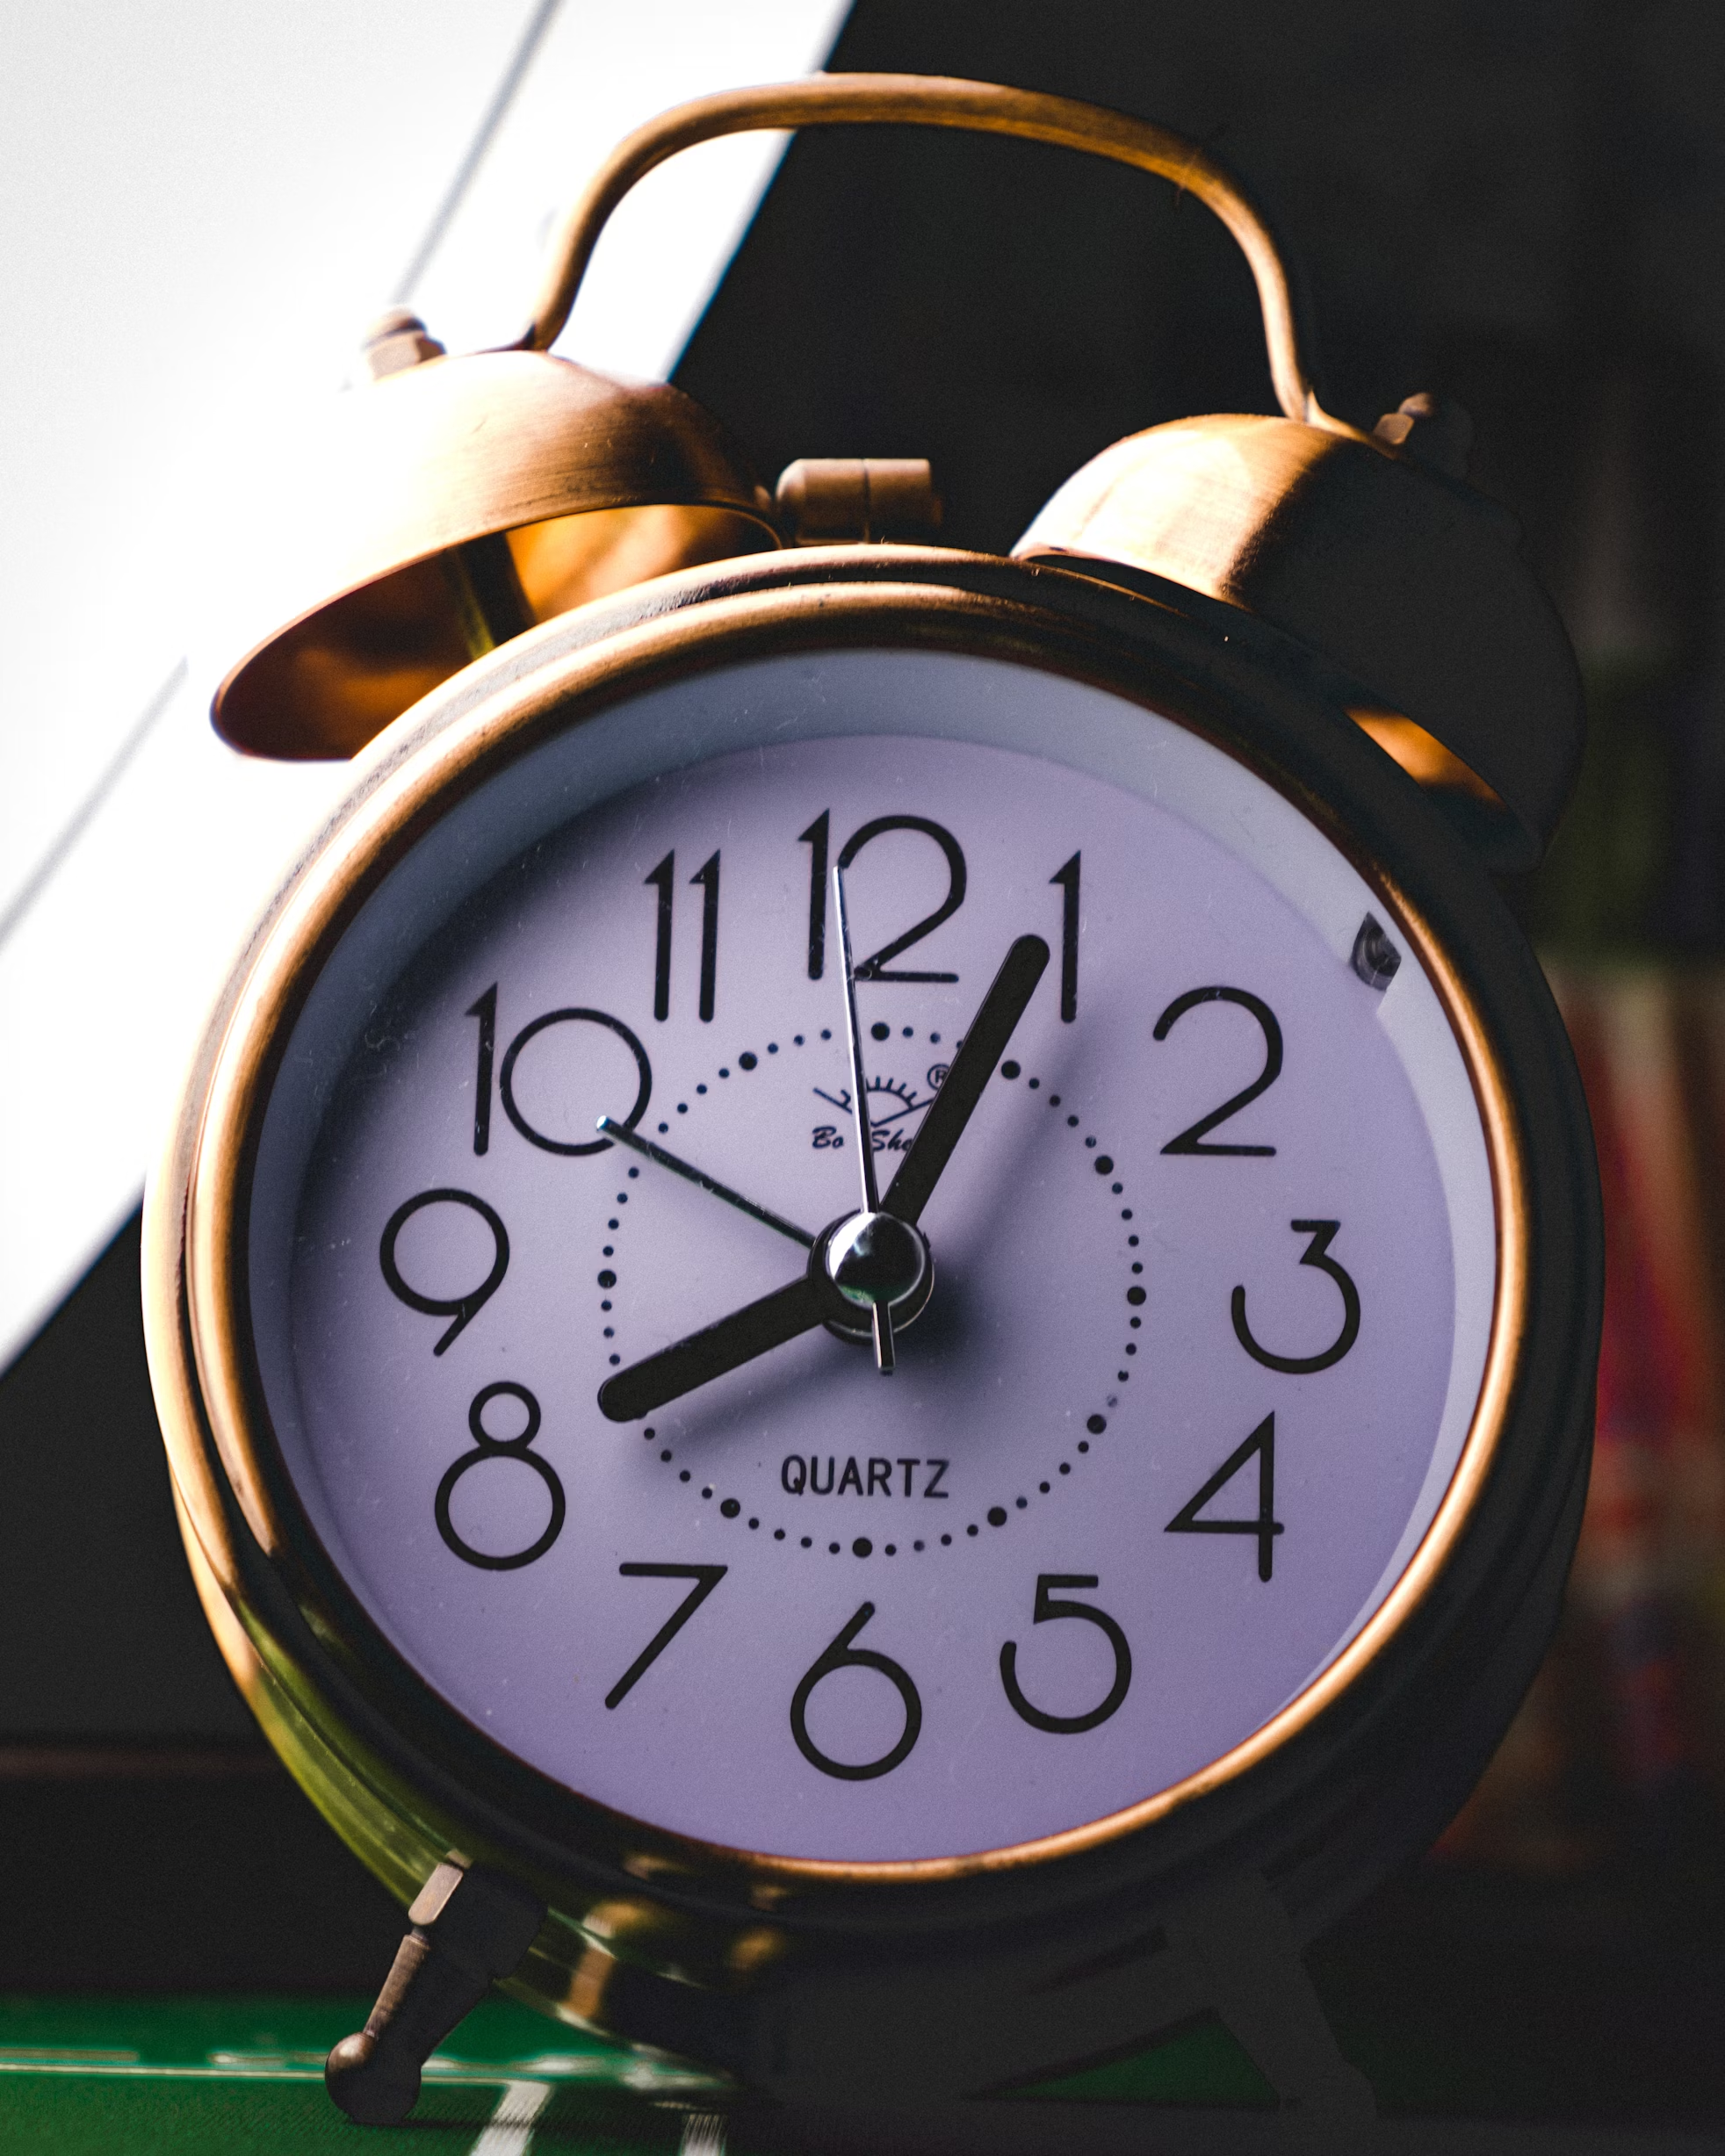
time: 8:04
